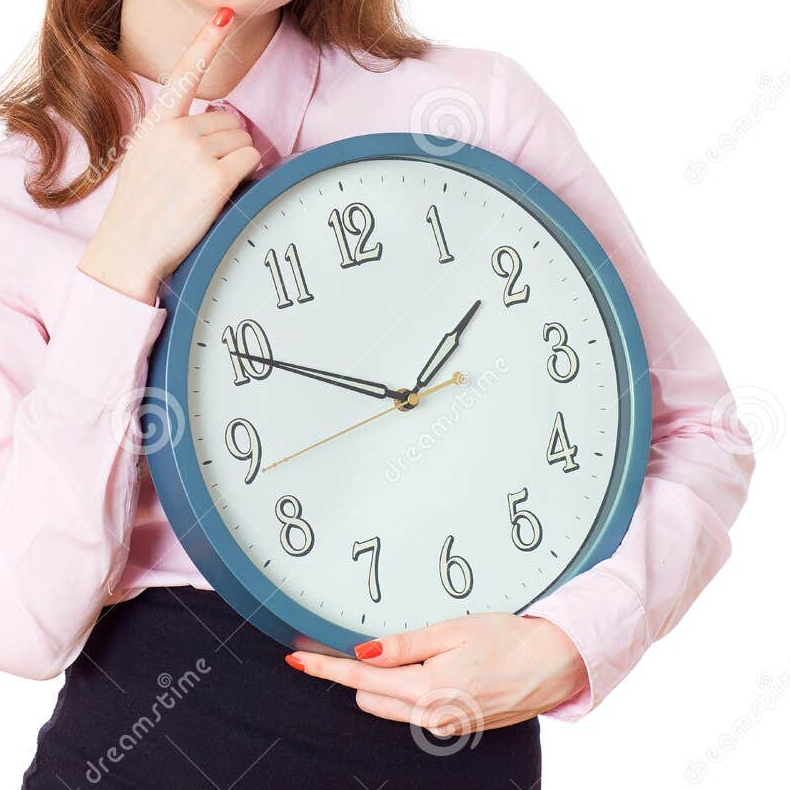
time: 1:49
